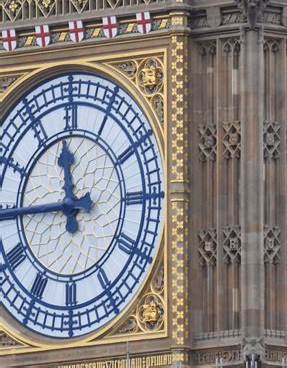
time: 11:44
